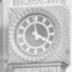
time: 3:58
